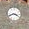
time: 3:41
